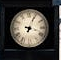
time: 7:04
